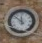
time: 11:52
